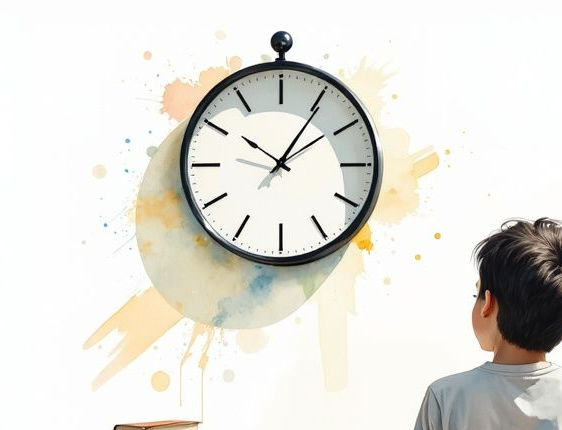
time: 10:05
